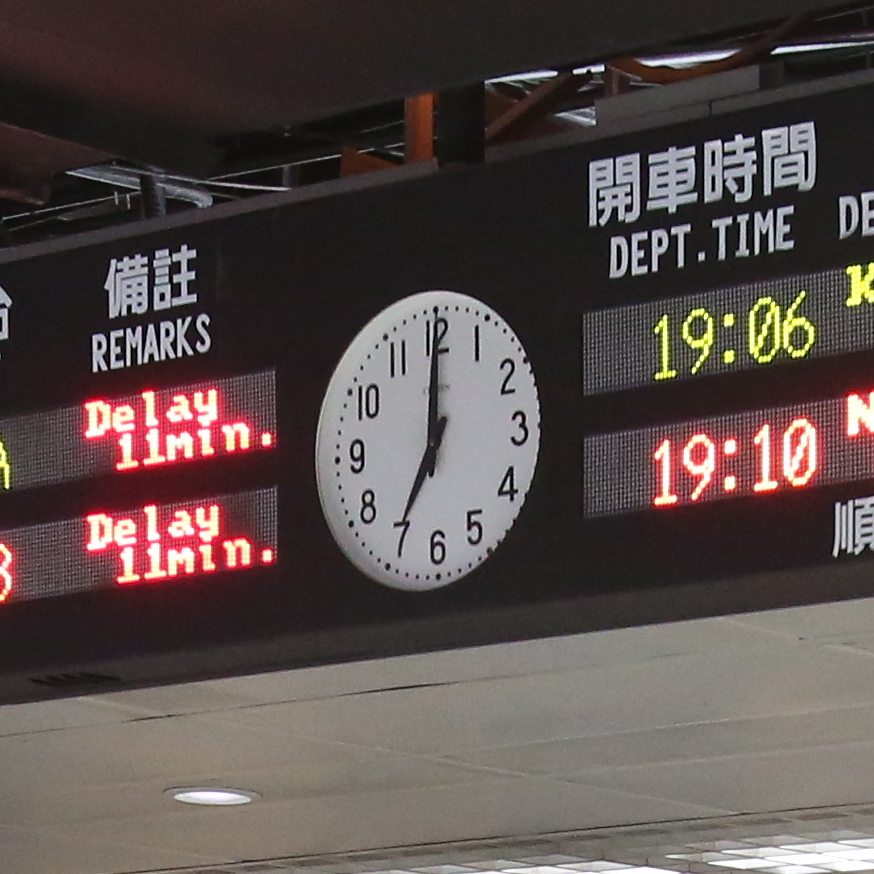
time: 7:00
